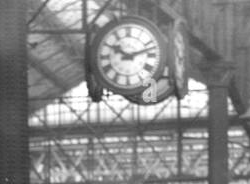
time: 10:12
